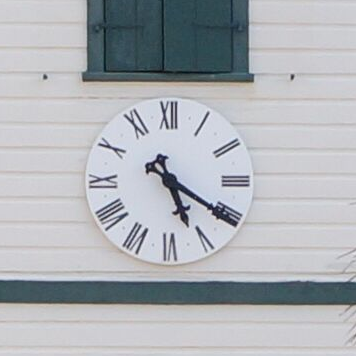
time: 5:20
